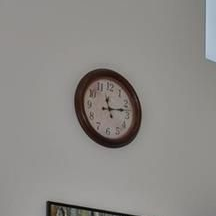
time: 11:13
